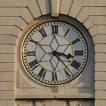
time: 3:23
